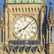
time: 8:07
